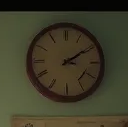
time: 2:09
